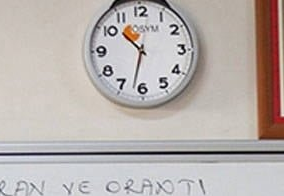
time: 10:32
